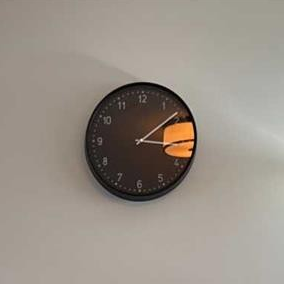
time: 3:08
